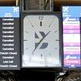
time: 10:37
